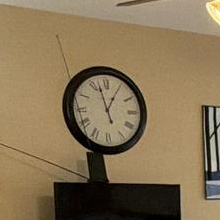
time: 12:57
